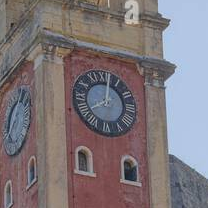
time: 8:01
